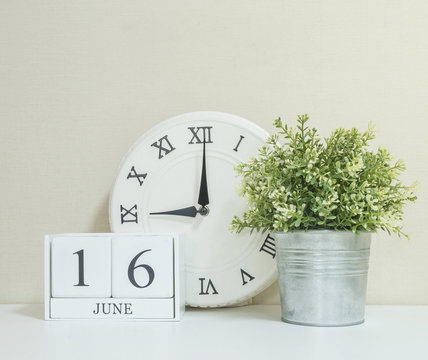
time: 9:00
